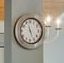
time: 11:25
